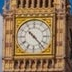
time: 10:22
